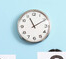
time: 11:10
